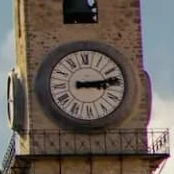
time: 3:13
